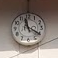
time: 11:20
